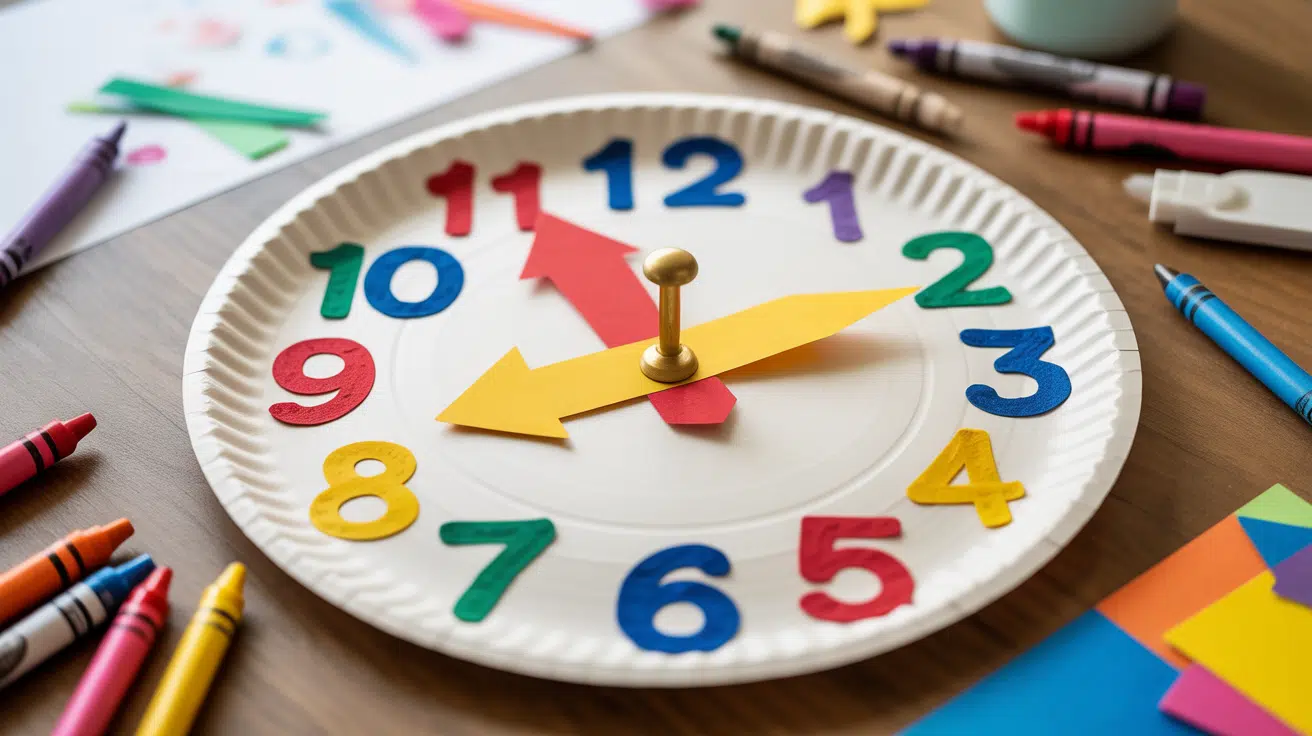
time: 11:56
